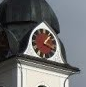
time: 1:18
